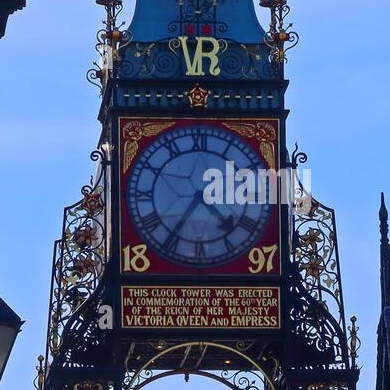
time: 4:35
